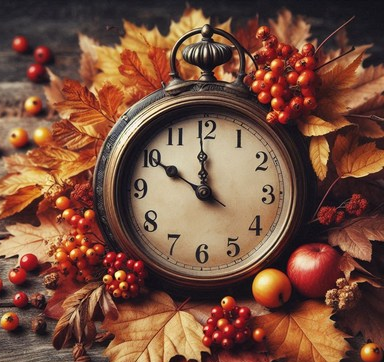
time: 11:50
